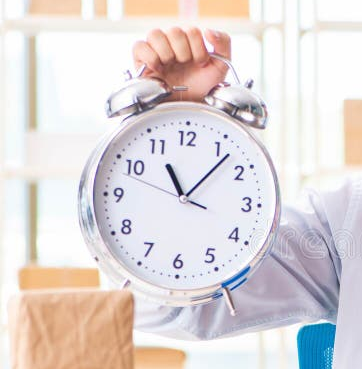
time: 11:07
